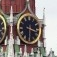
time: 3:29
